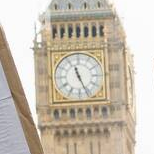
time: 11:26
